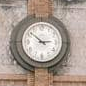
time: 2:52
